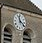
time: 11:22
